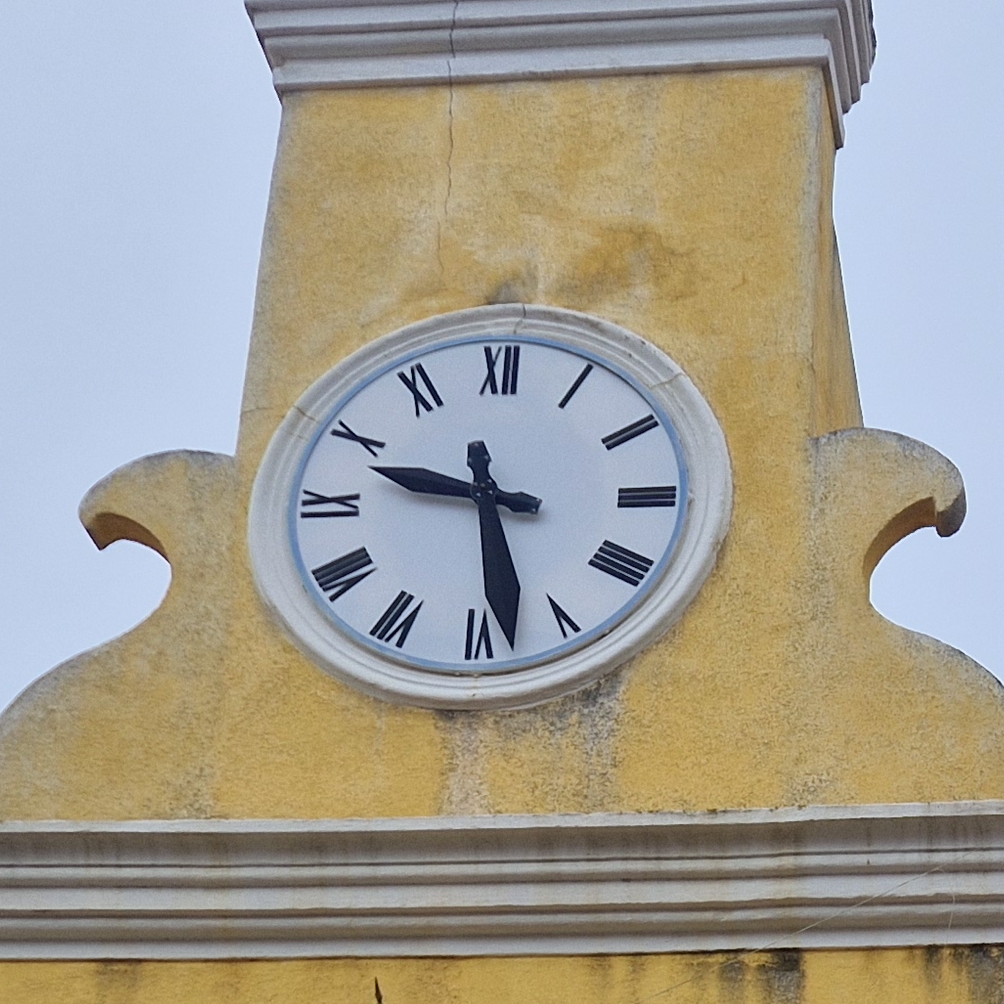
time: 9:28
